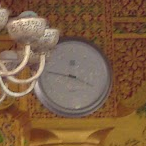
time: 3:46
